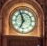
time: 6:56
